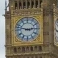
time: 2:47
